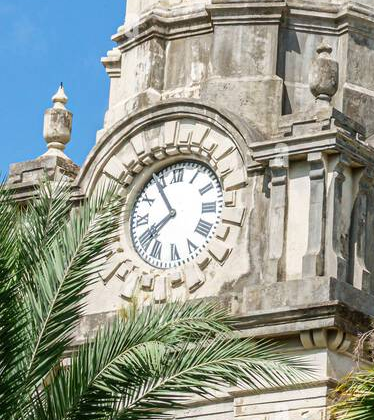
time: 7:54
